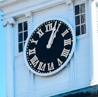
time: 1:03
